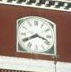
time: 3:40
